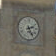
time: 2:24
